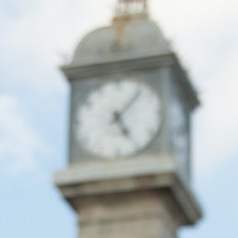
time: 5:06
